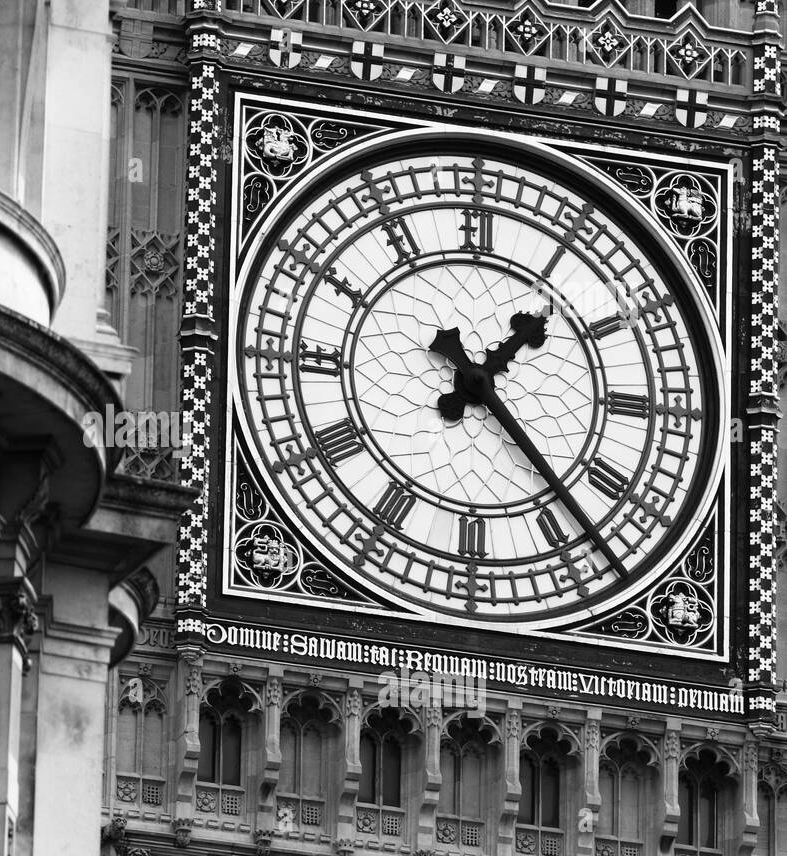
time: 1:22
